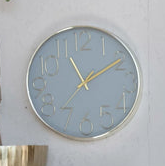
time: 11:10
